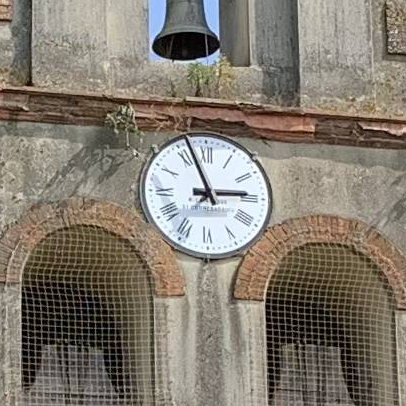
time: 2:56
